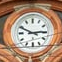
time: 2:49
